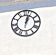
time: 1:02
